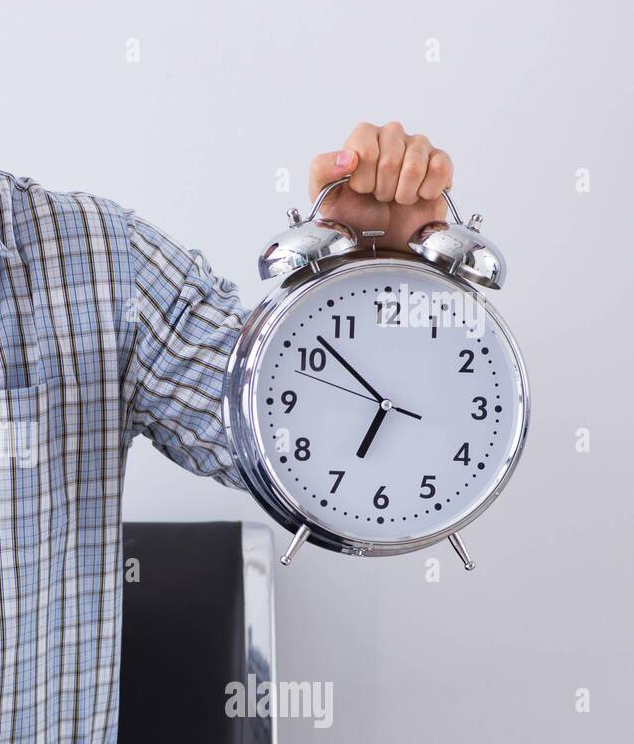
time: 6:52
